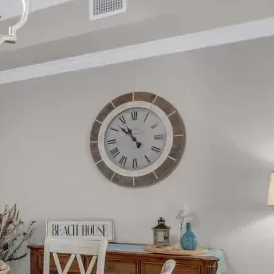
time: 10:51
